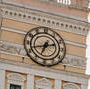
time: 6:42
